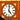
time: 5:01
